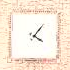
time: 4:07
